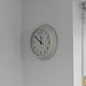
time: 11:50
